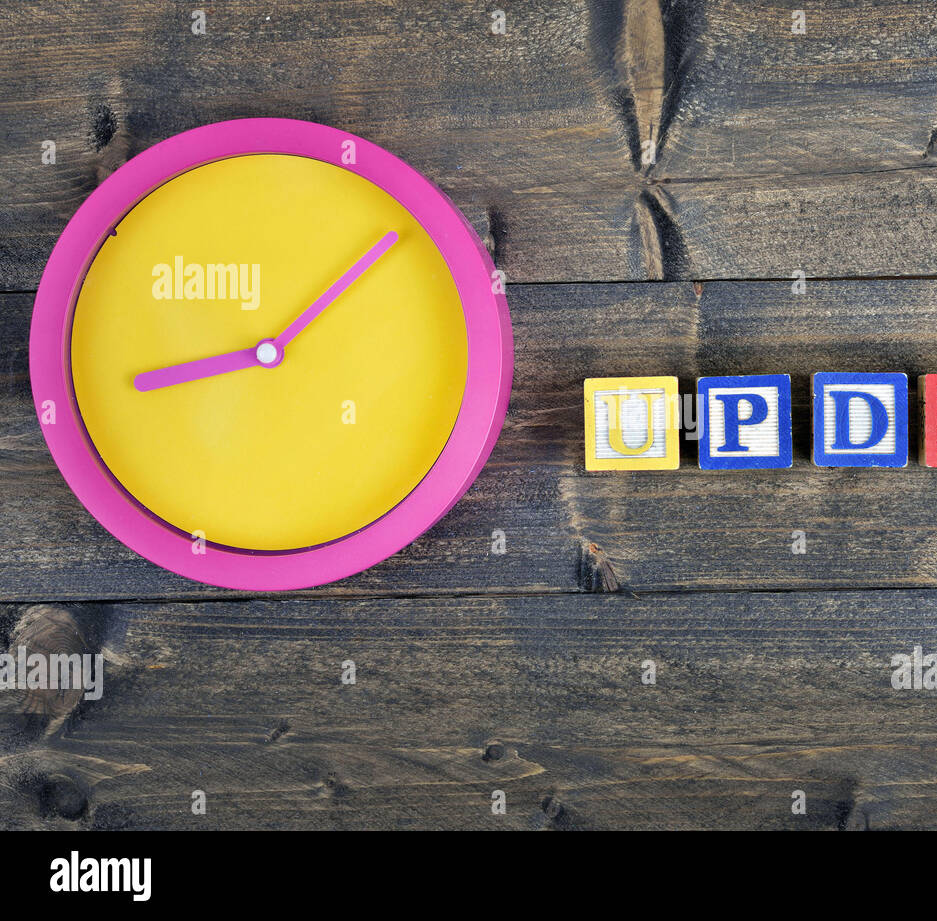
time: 8:07
